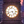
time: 4:42
